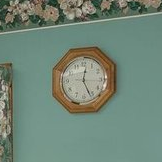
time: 12:26
